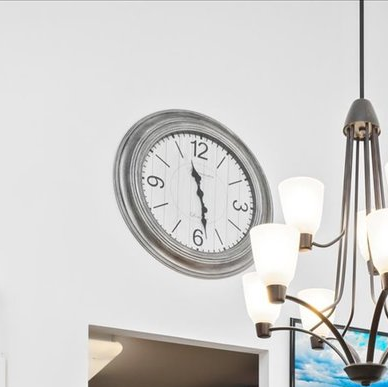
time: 11:28
